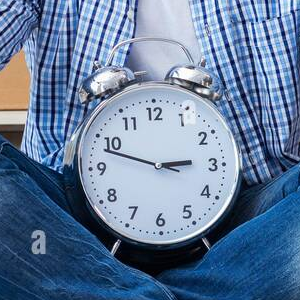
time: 2:48
